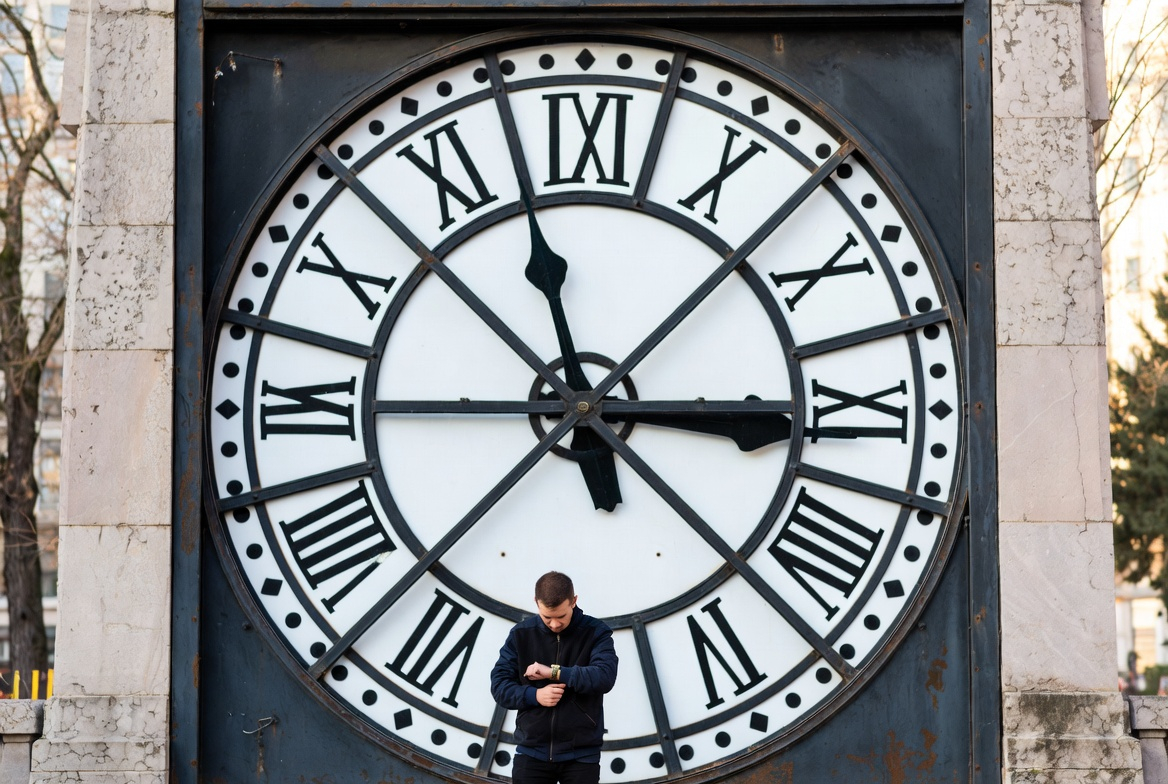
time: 2:57
